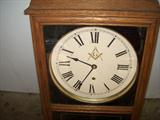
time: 9:34
